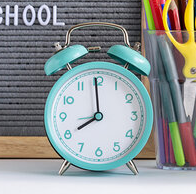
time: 7:59
